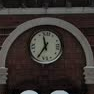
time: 11:35
